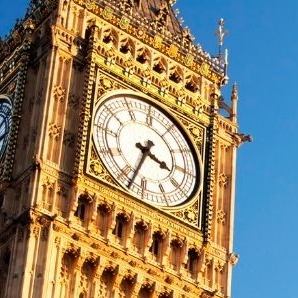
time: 3:33
